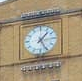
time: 1:25
